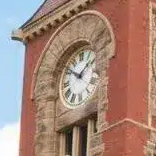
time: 1:51
